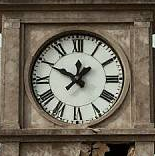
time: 11:49
